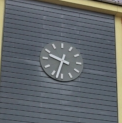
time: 9:32
